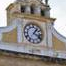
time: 1:18
